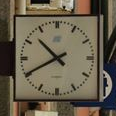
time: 10:40
